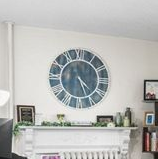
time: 4:26
